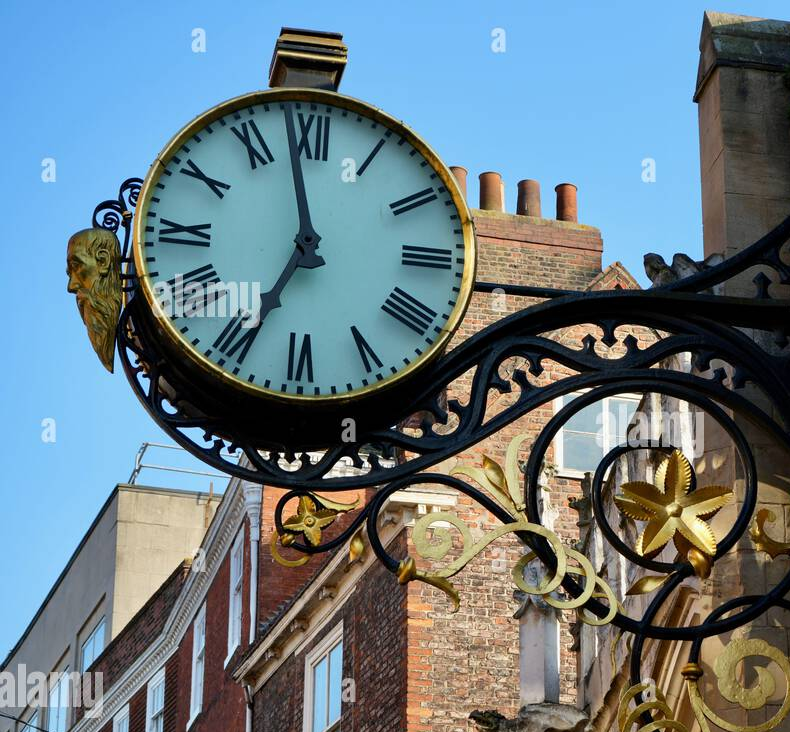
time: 6:58
